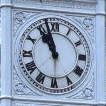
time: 10:57
